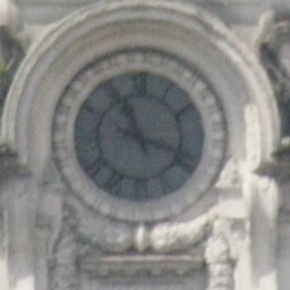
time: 11:18
